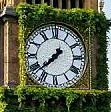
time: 7:37
